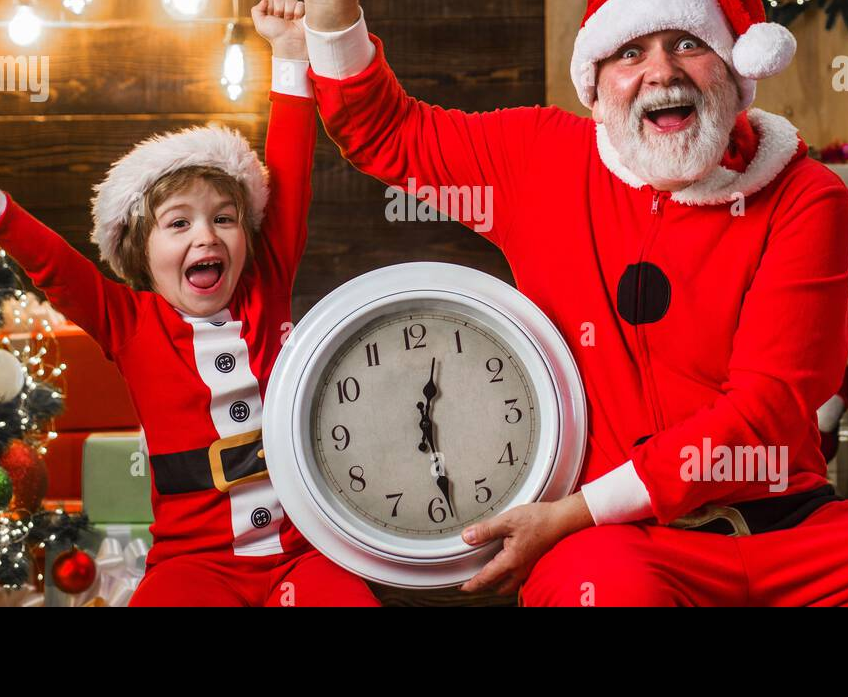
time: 12:28
